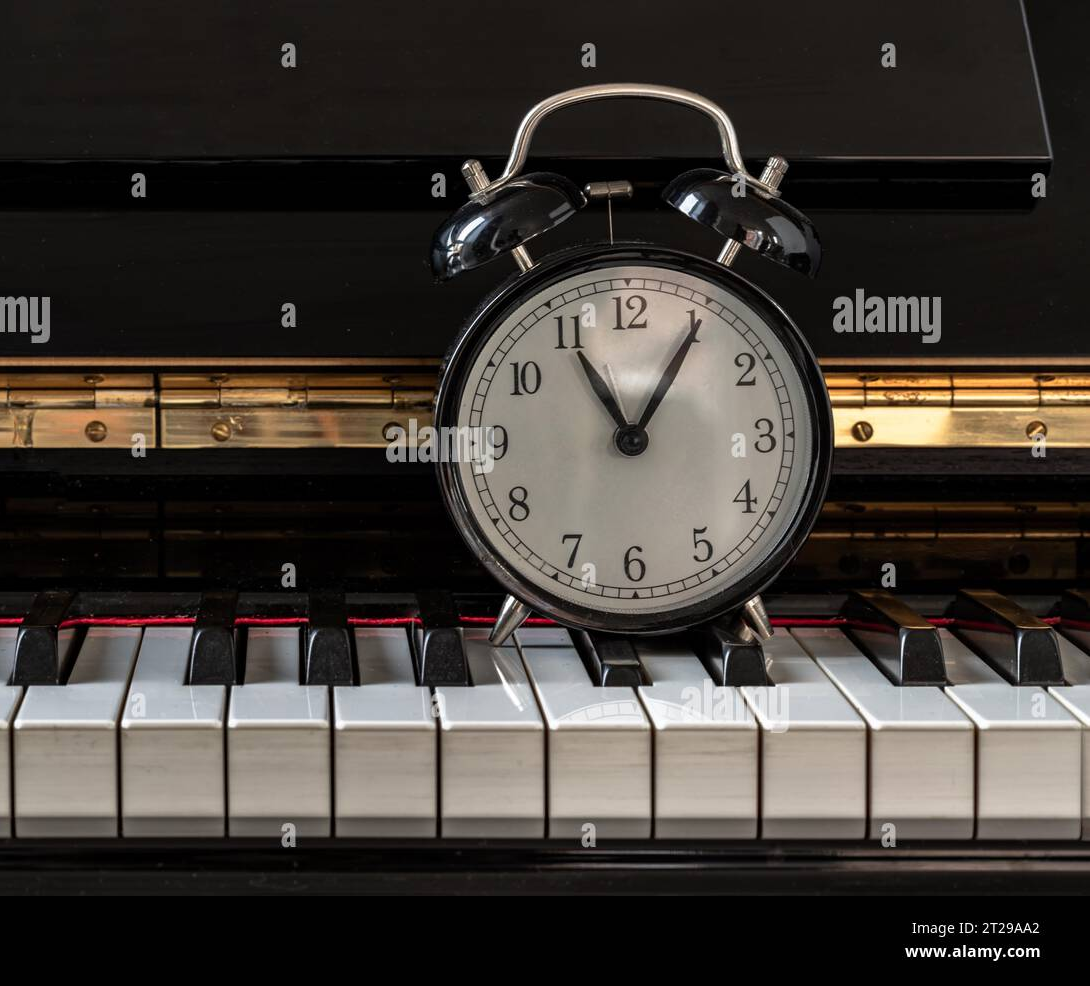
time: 11:05
